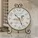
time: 1:26
